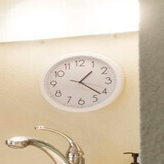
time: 1:21
